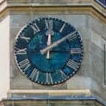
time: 12:08
